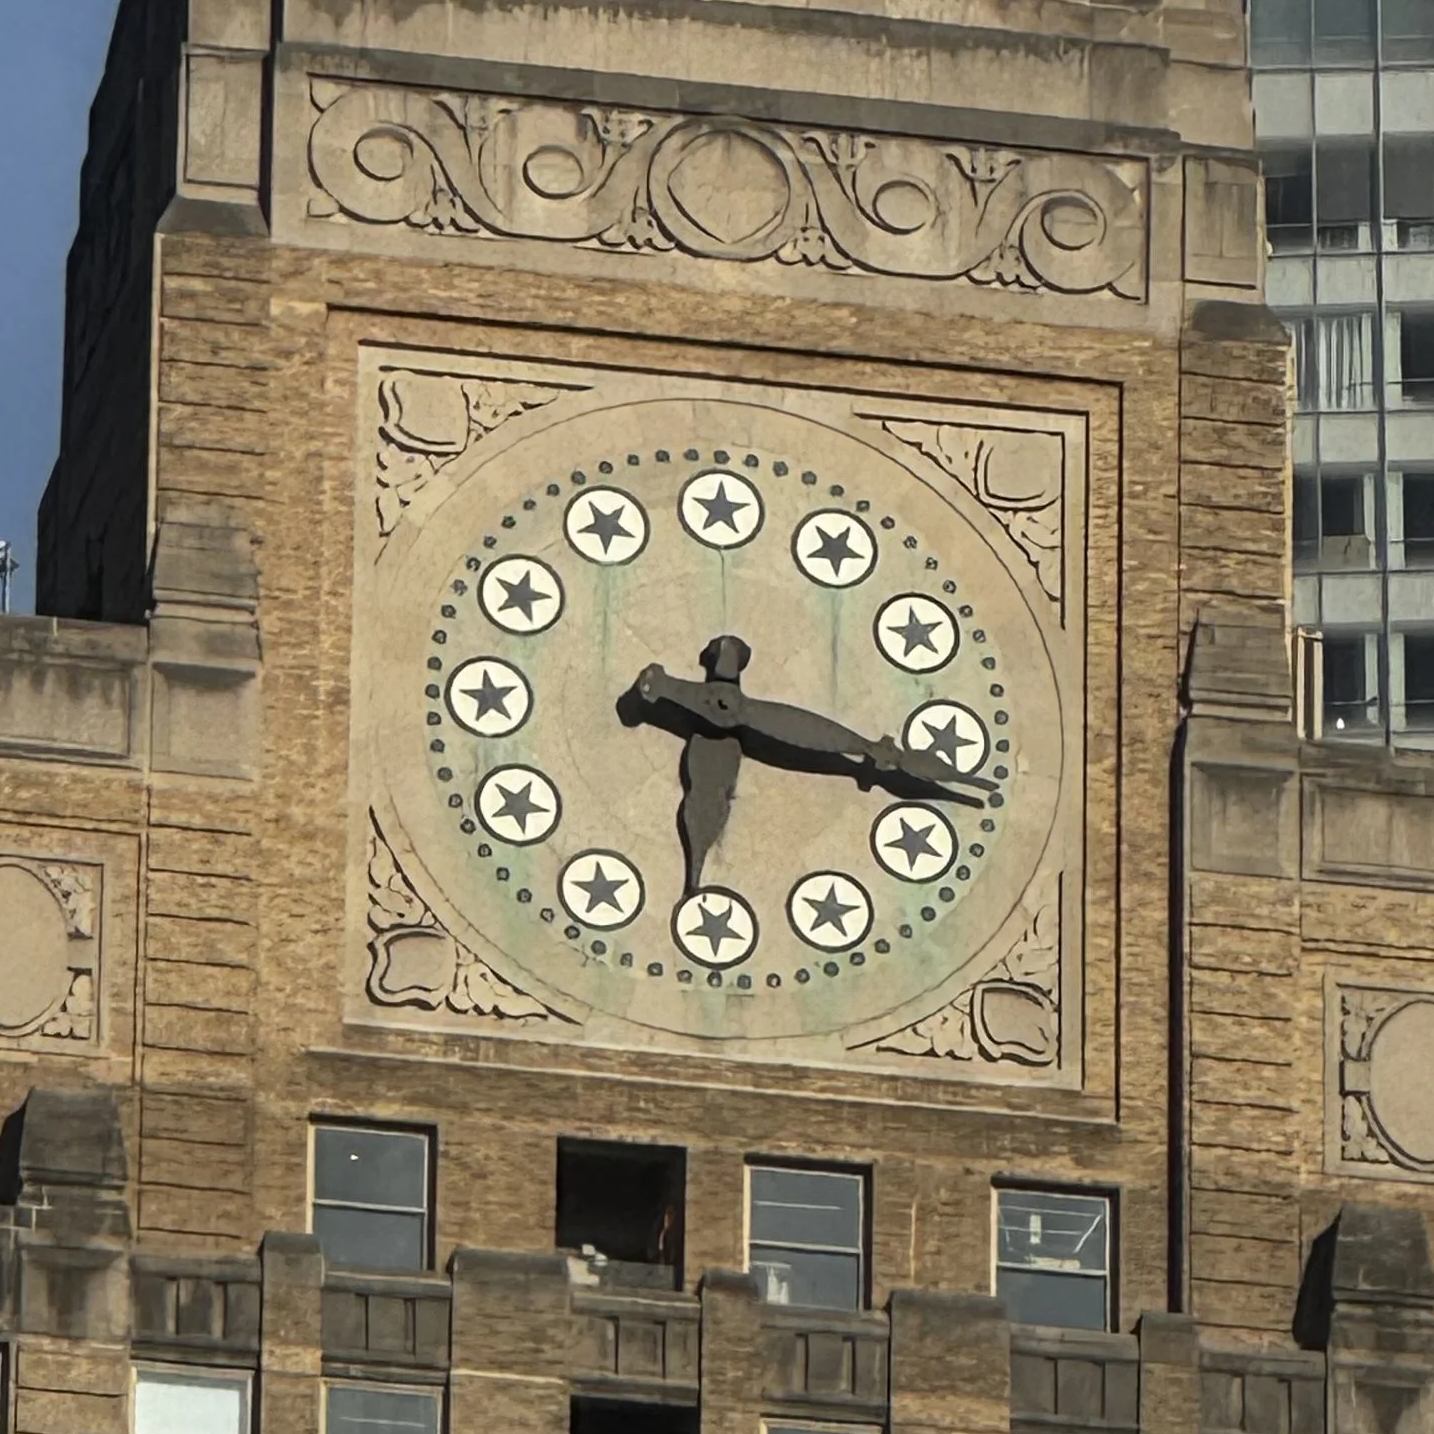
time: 6:17
